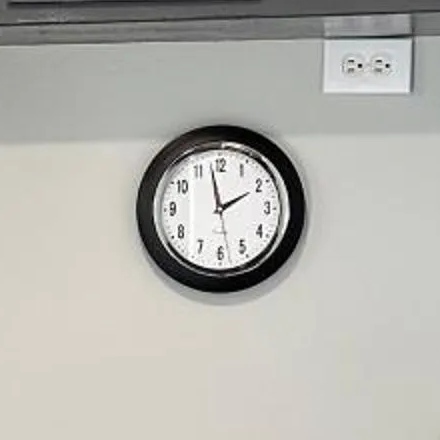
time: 1:58
